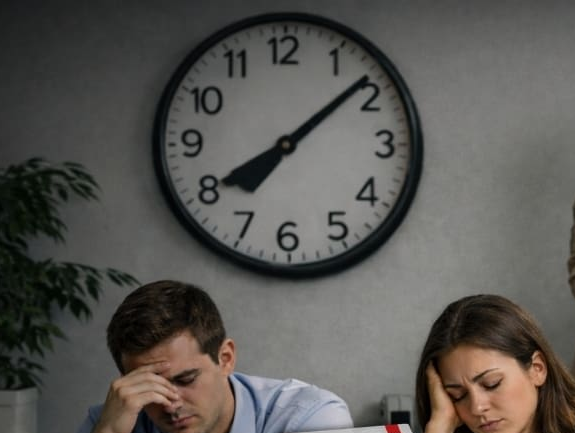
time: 8:08
